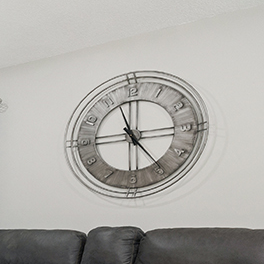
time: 11:24
